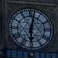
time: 6:01
